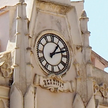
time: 1:12
